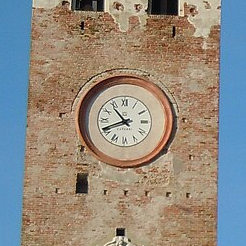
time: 10:41
